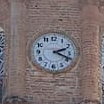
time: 2:18
